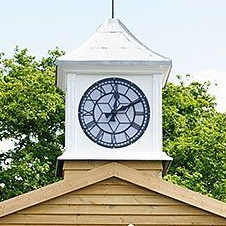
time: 12:10
